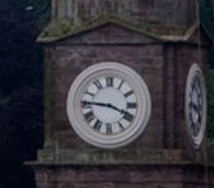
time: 3:45
